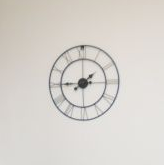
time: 1:45
